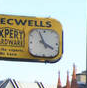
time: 3:56
